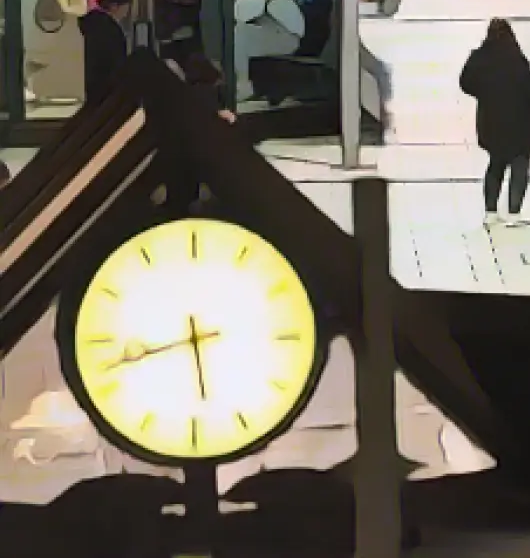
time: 5:42
